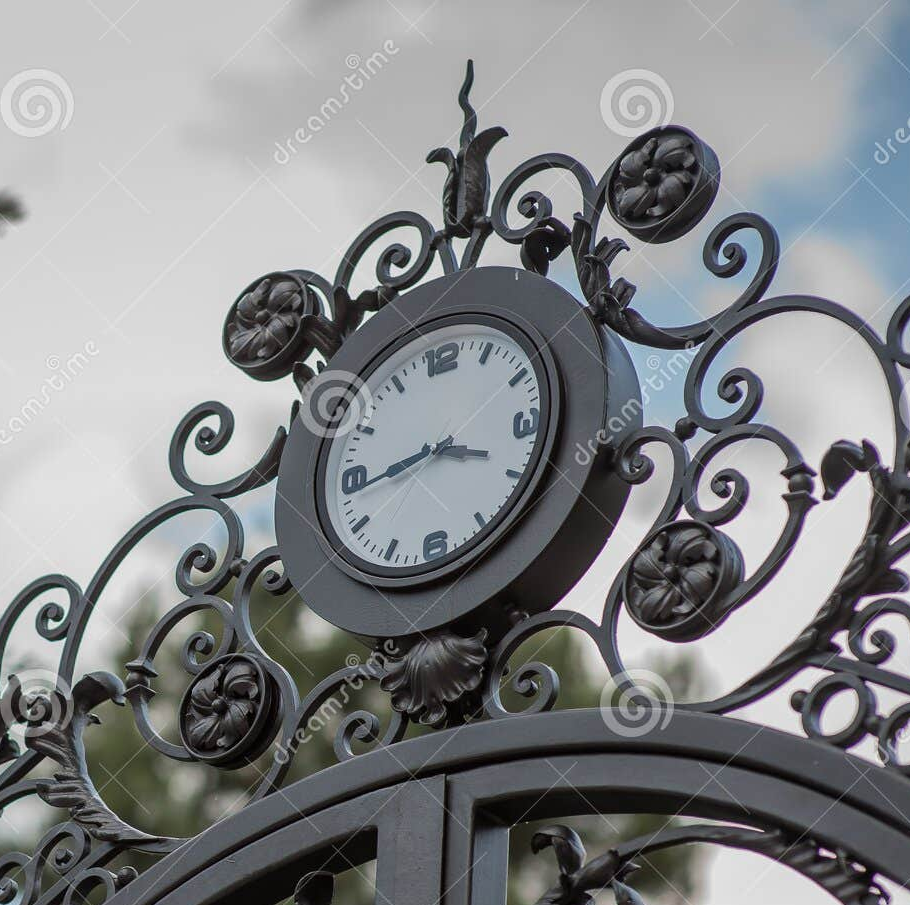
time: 3:43
